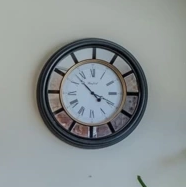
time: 3:52
